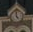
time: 4:59
